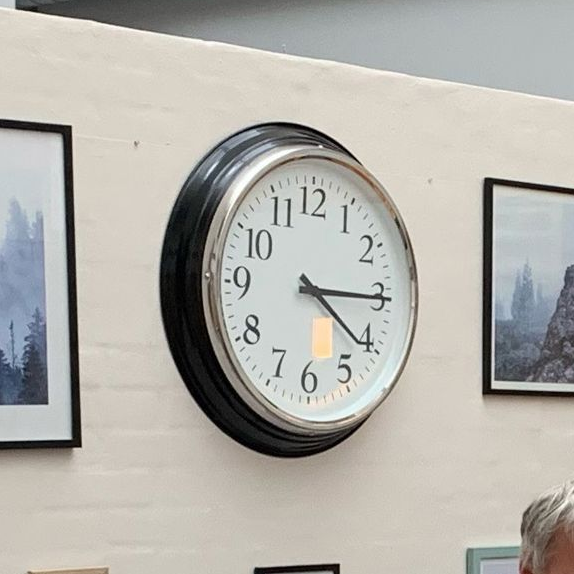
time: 4:15
